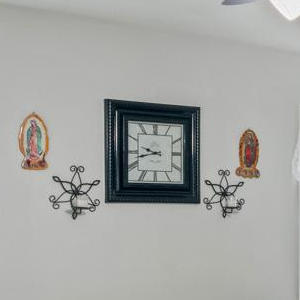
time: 9:42
